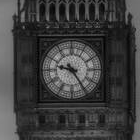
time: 9:24
